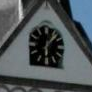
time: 6:06
